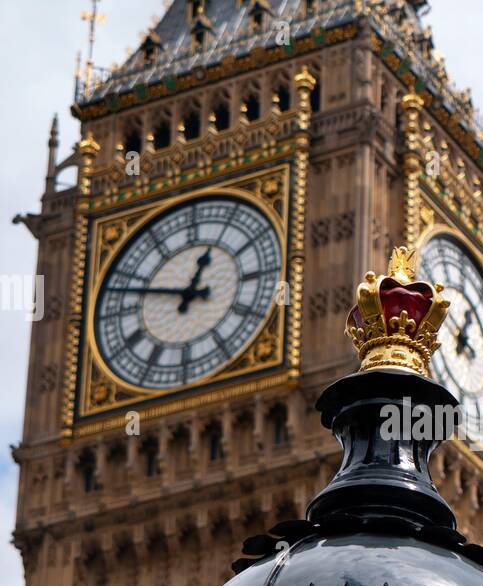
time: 12:48
